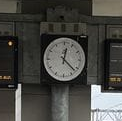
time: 12:22
